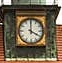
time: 4:00
